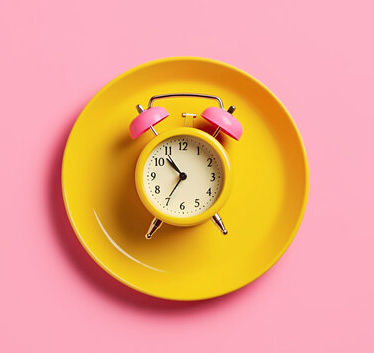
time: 10:35
